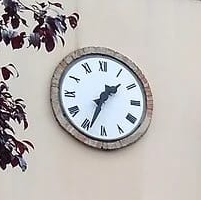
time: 1:33
